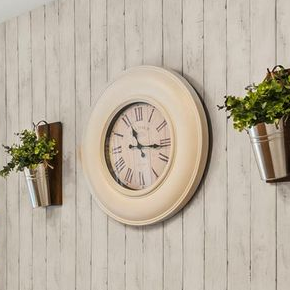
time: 11:16
